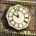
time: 9:57
